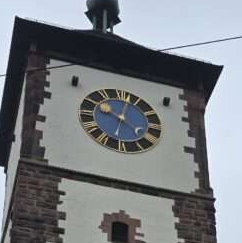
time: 10:02
